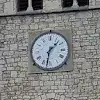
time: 1:32
